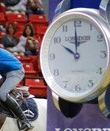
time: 9:59
